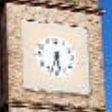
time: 5:33
